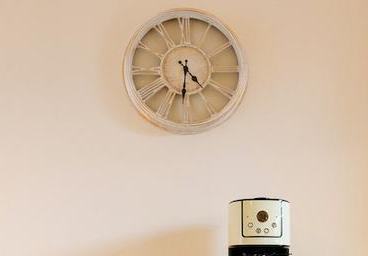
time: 4:31
